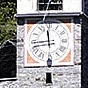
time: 11:44
